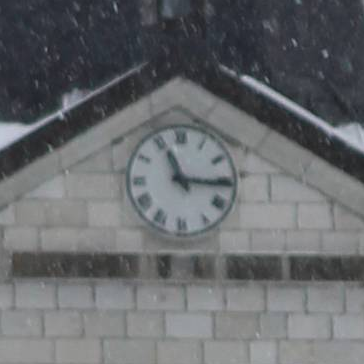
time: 11:15
